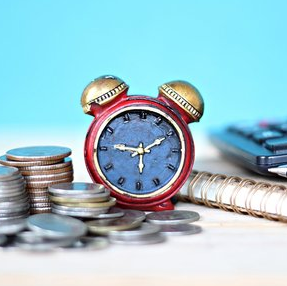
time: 9:10
